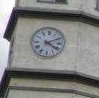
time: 4:10
